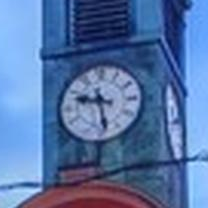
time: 9:28
